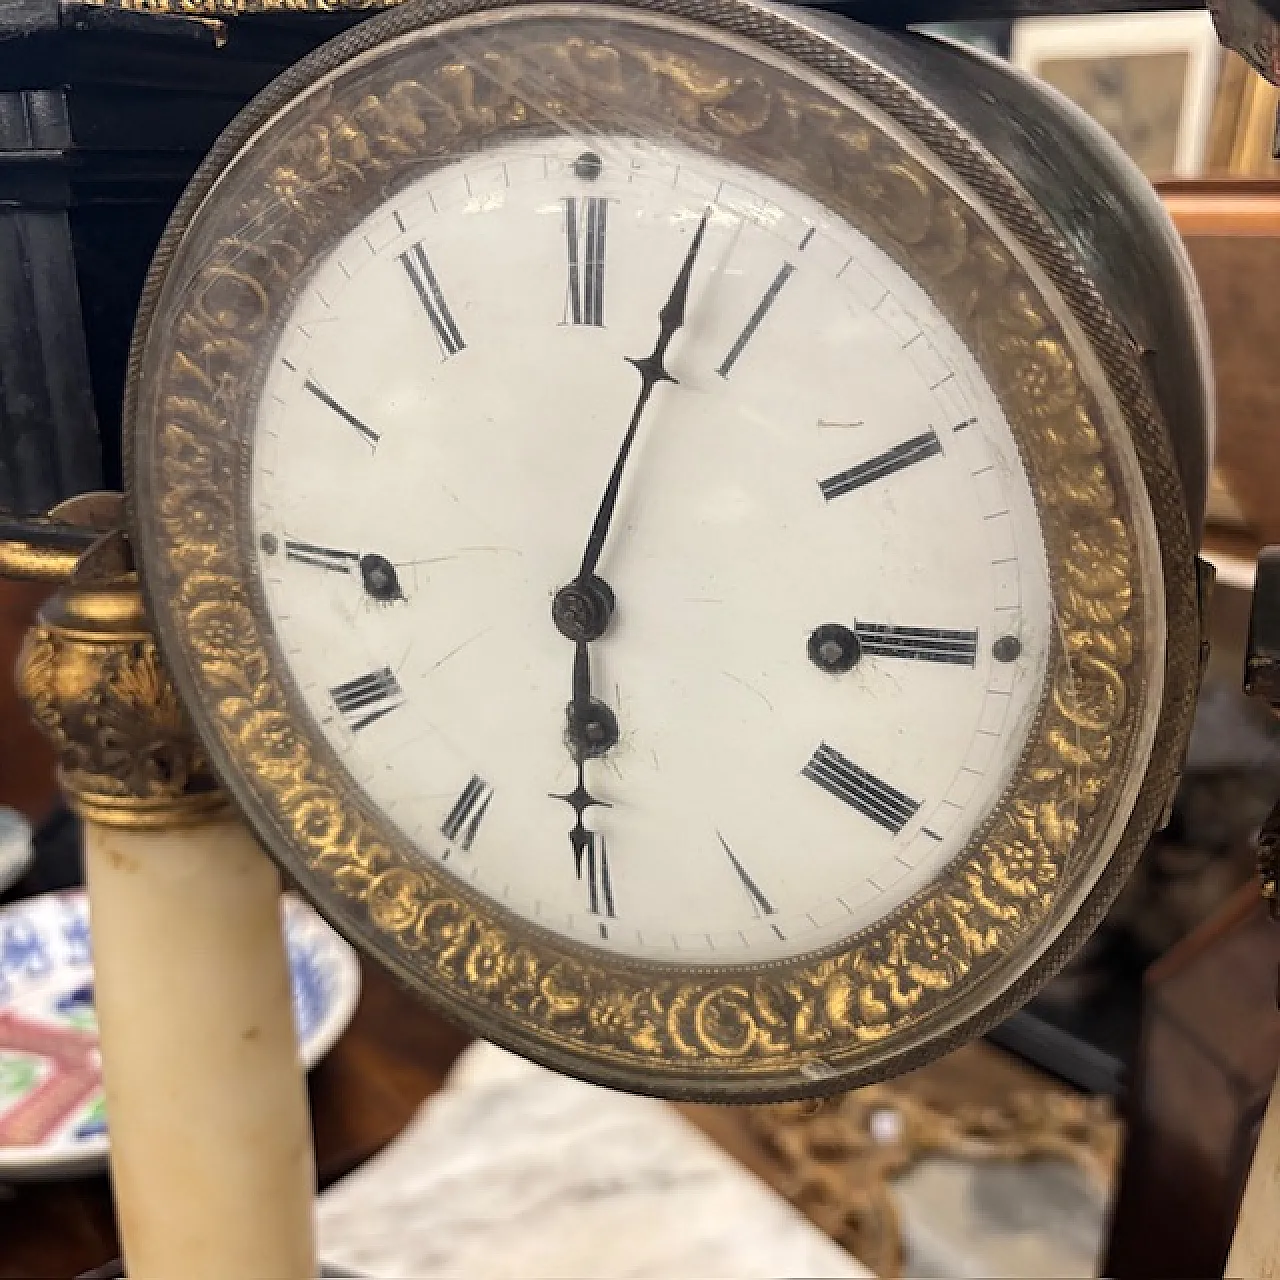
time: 6:03
